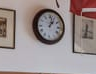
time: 1:01
